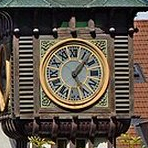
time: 5:06
